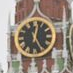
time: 12:24
